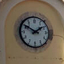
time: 1:50
